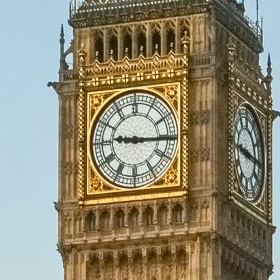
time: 9:15
